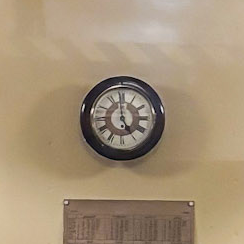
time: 4:59
